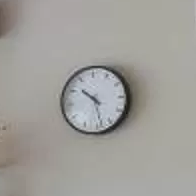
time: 10:28
